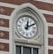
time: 12:10
